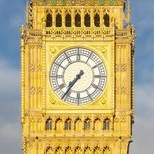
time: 7:36
